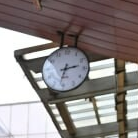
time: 2:32
